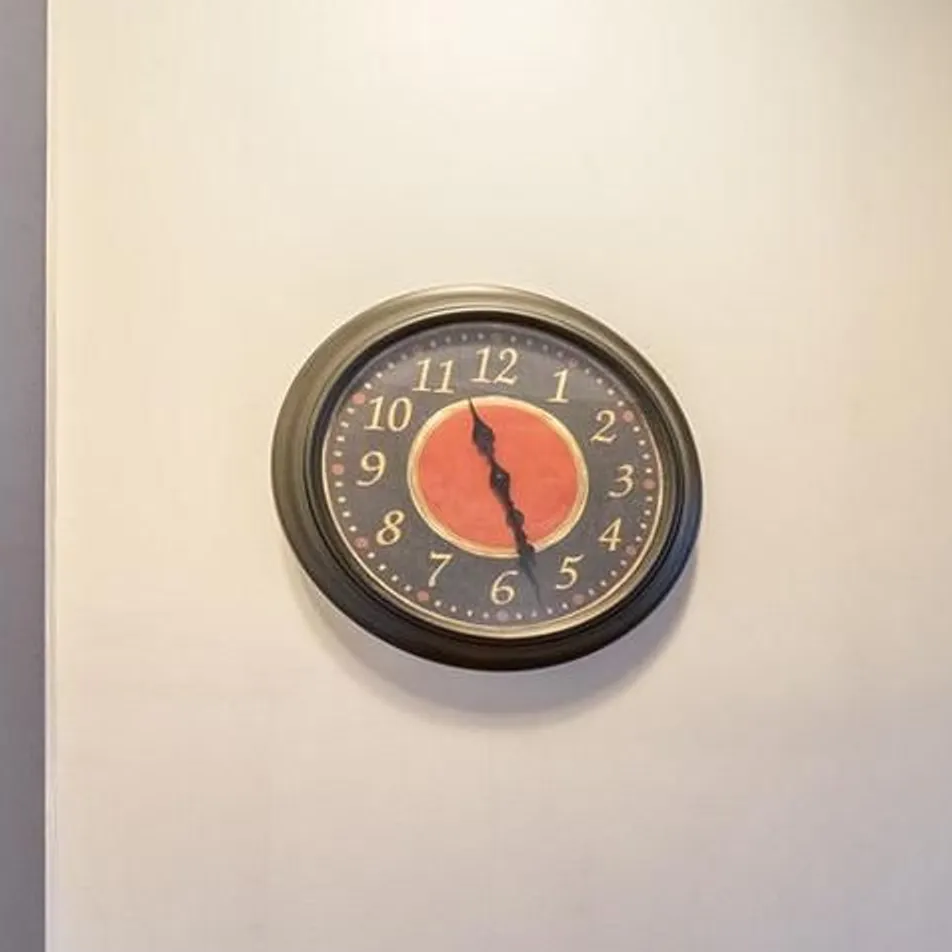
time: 11:27
